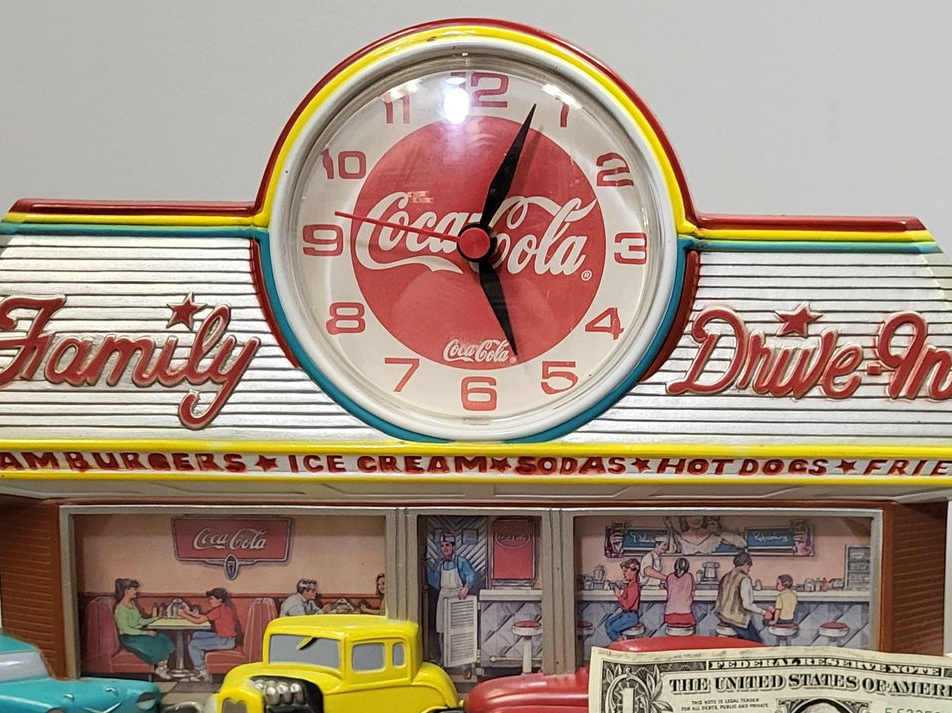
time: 5:03
